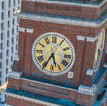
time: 5:34
